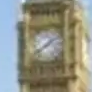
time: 1:38
